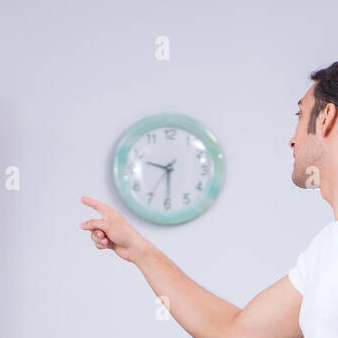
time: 9:29
